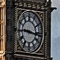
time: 9:16
